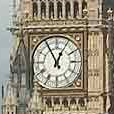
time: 12:55
